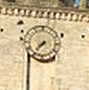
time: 7:36
